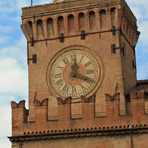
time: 12:18
